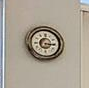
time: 3:15
